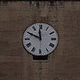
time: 11:49
